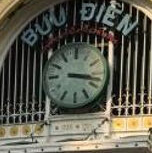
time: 3:17
